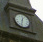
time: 12:32
